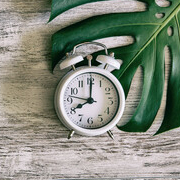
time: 8:00
